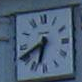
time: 6:40
